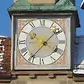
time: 1:36
